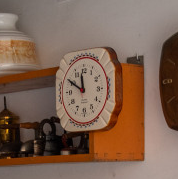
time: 11:49
